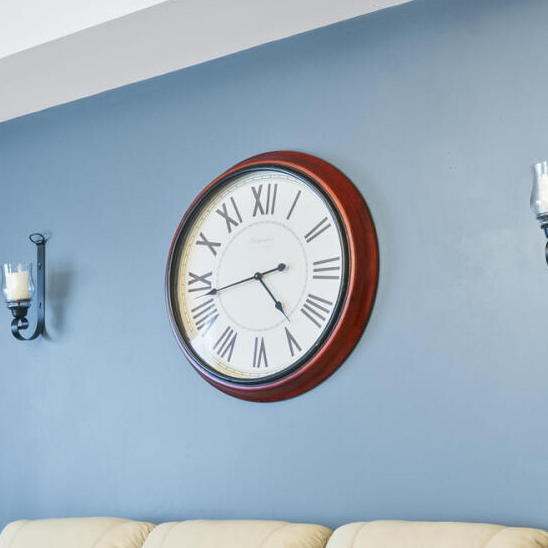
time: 4:42
